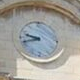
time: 9:42
